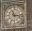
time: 11:16
